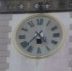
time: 4:37
